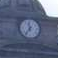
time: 11:36
